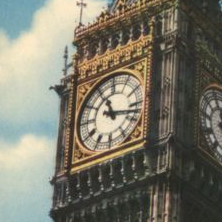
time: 11:17
